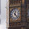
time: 12:23
